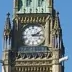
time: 2:15
